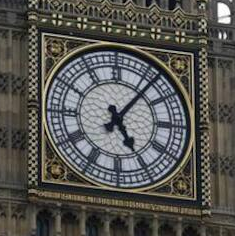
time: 5:06
